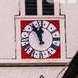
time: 11:55
